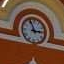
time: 2:56
